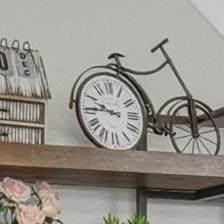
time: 9:45
